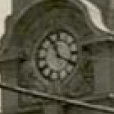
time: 11:19
